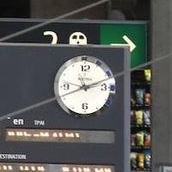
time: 8:11
